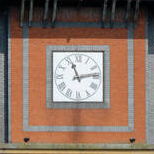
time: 11:13
